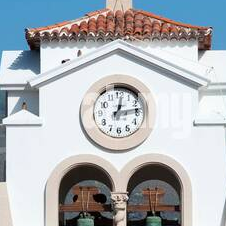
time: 12:13
